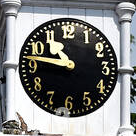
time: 10:46
